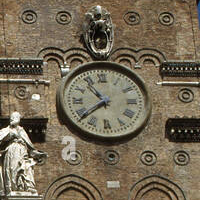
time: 10:38
